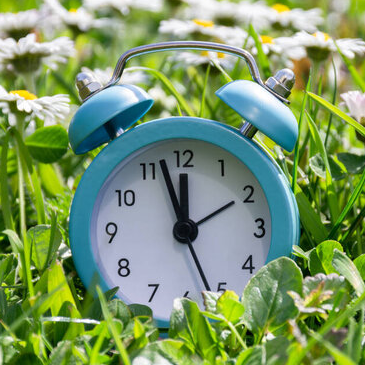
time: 11:57
